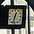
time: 12:32
